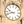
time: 9:42
